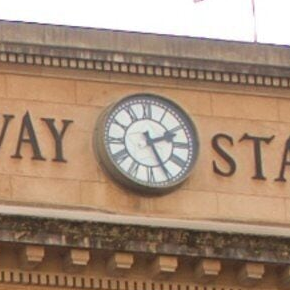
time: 2:25
